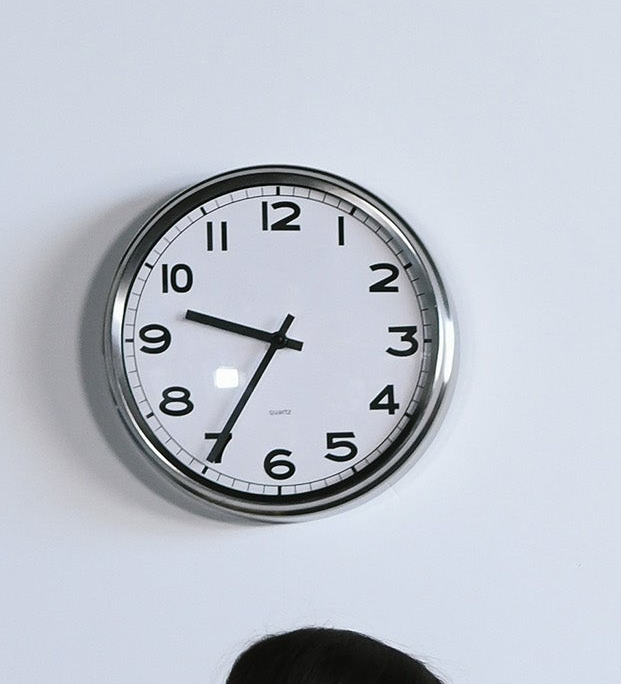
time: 9:35
